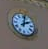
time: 2:02
